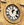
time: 1:00
